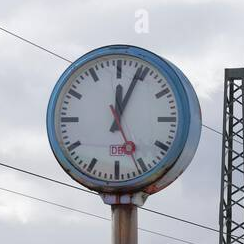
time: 12:03
